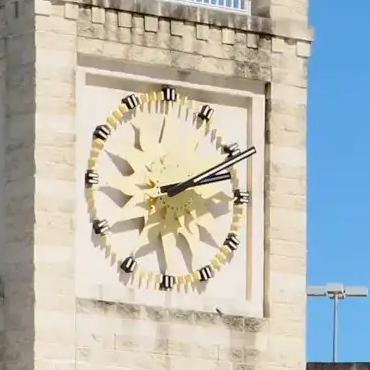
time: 2:12
